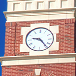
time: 9:23
